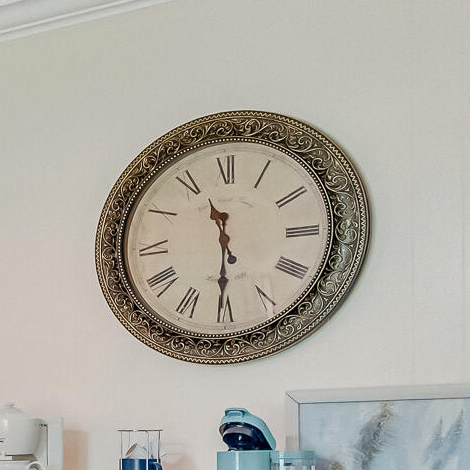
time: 11:30
